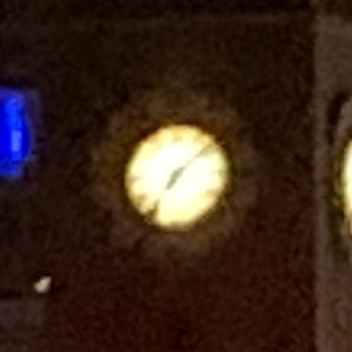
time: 7:08
